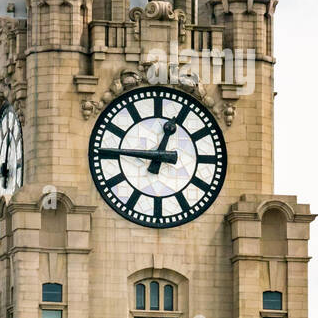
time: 12:46
